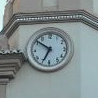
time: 6:51
